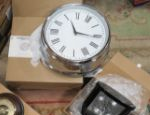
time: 11:16
